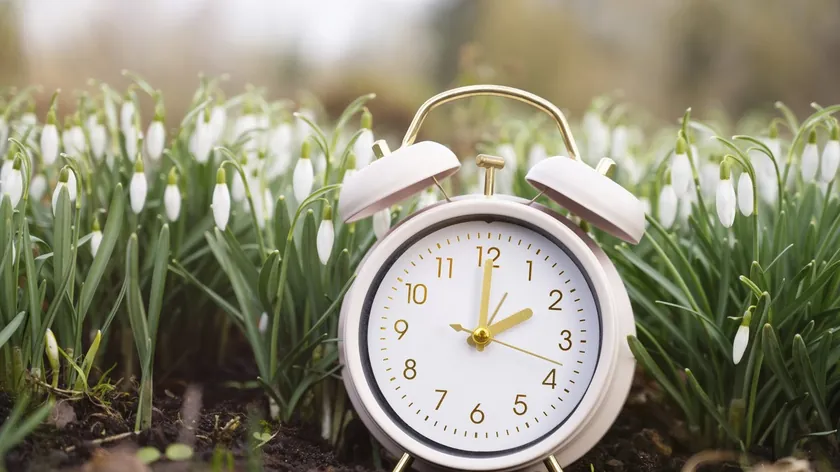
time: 2:00
